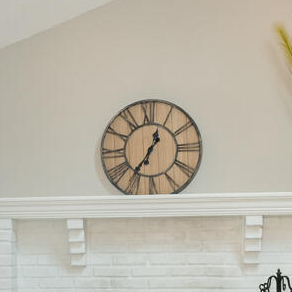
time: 12:36
